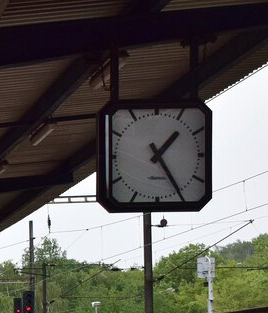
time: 1:24
